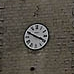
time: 3:49
